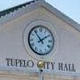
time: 1:53
